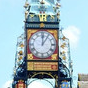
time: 12:05
